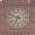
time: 6:48
